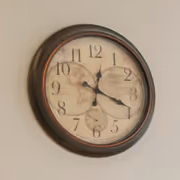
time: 12:18
